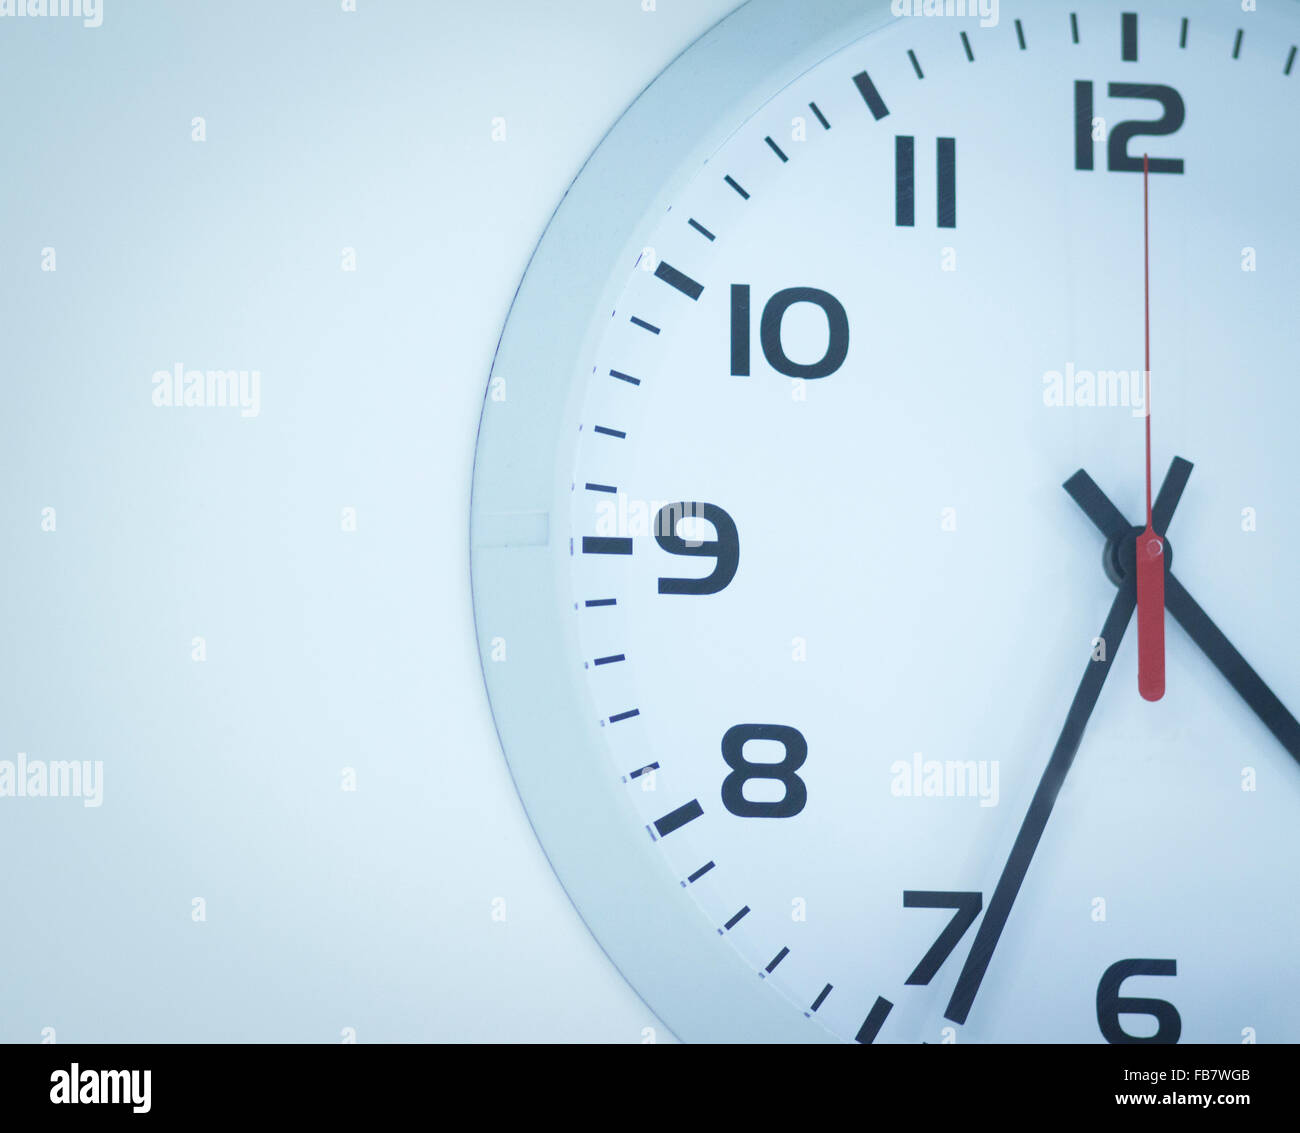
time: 4:34
